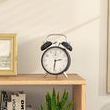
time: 2:31
